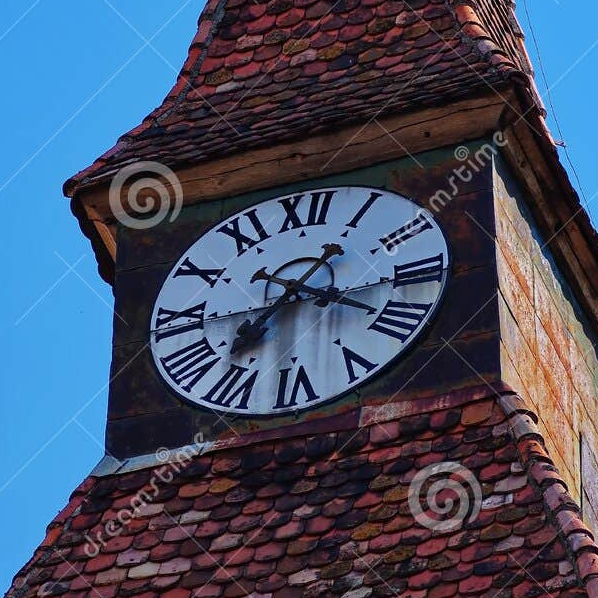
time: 7:19
